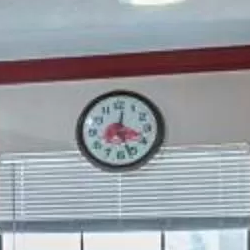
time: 12:26
